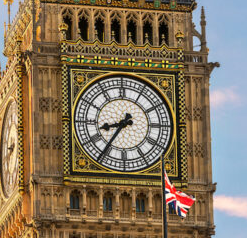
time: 8:35
